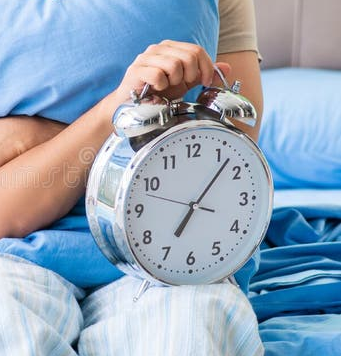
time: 7:06
